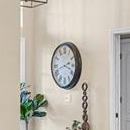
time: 3:42
